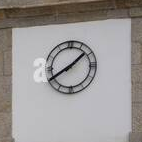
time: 1:40
